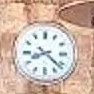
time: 8:21
